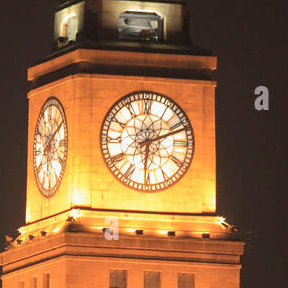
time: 6:11
